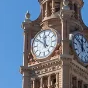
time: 11:51
